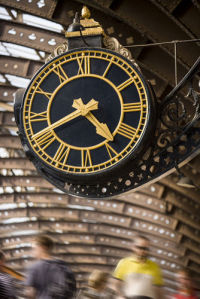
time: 4:40
